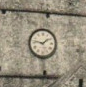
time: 1:46
